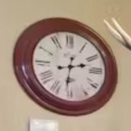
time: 2:31
